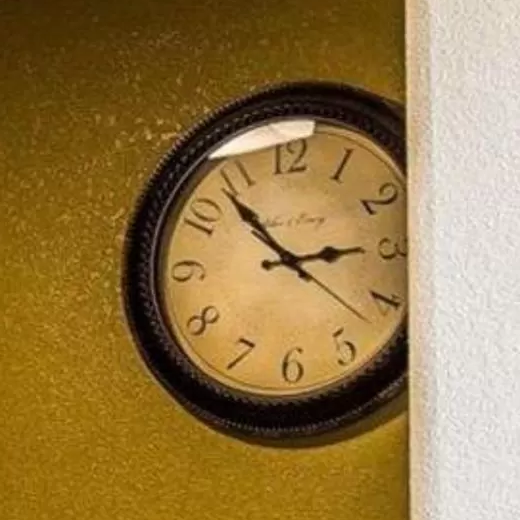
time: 2:53
